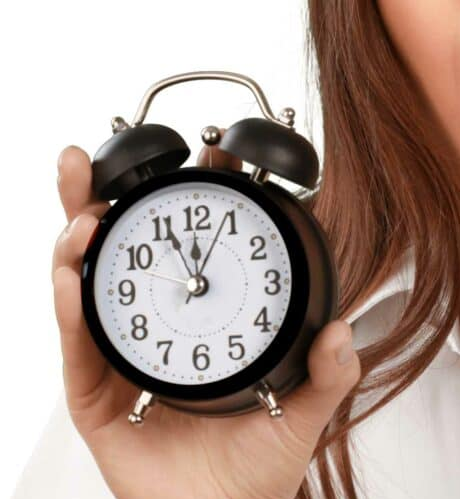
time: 11:55
